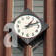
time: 1:11
